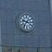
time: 9:36
